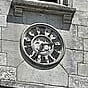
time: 2:34
